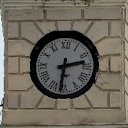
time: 2:31
